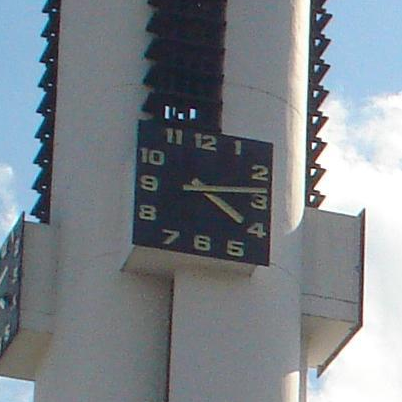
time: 4:13
